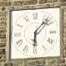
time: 6:07
